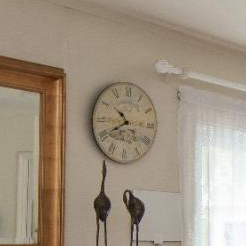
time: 10:40
